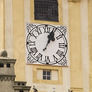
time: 1:03
